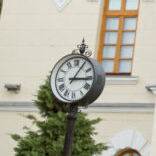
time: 3:05
